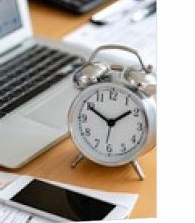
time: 1:50
